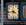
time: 3:43
